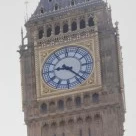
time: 9:22
